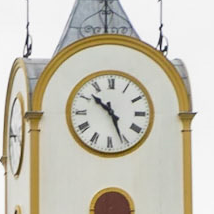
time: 10:26
